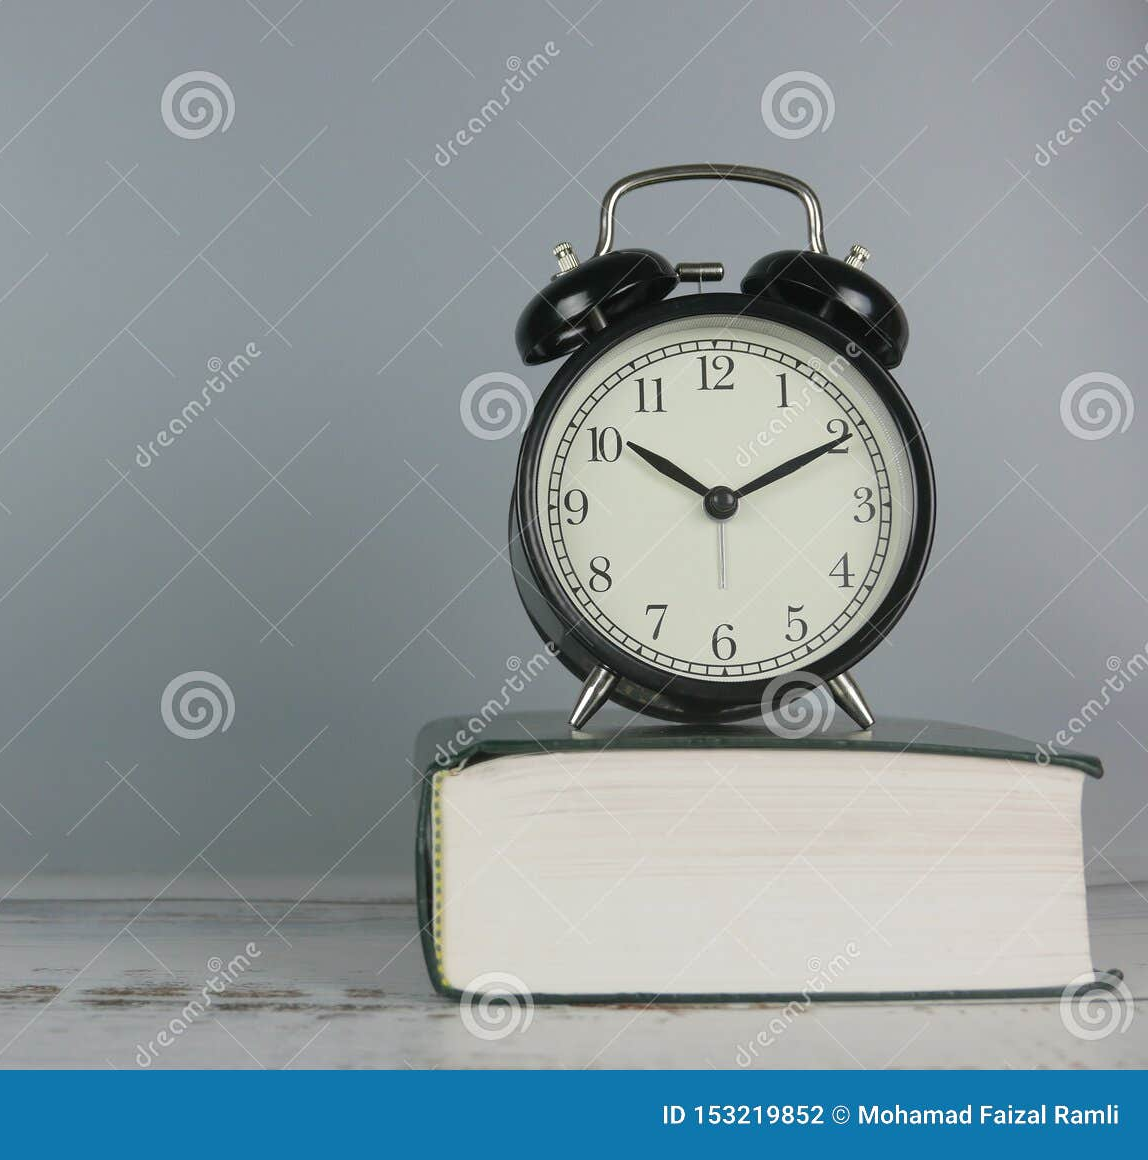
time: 10:10
